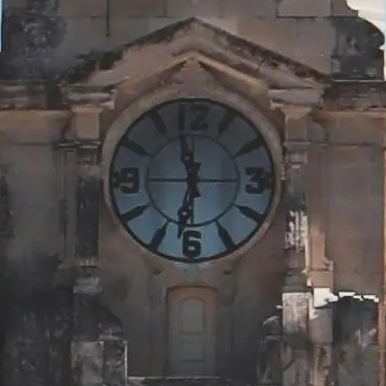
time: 11:32
